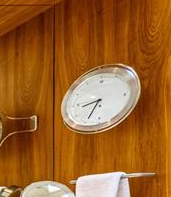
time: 8:34
